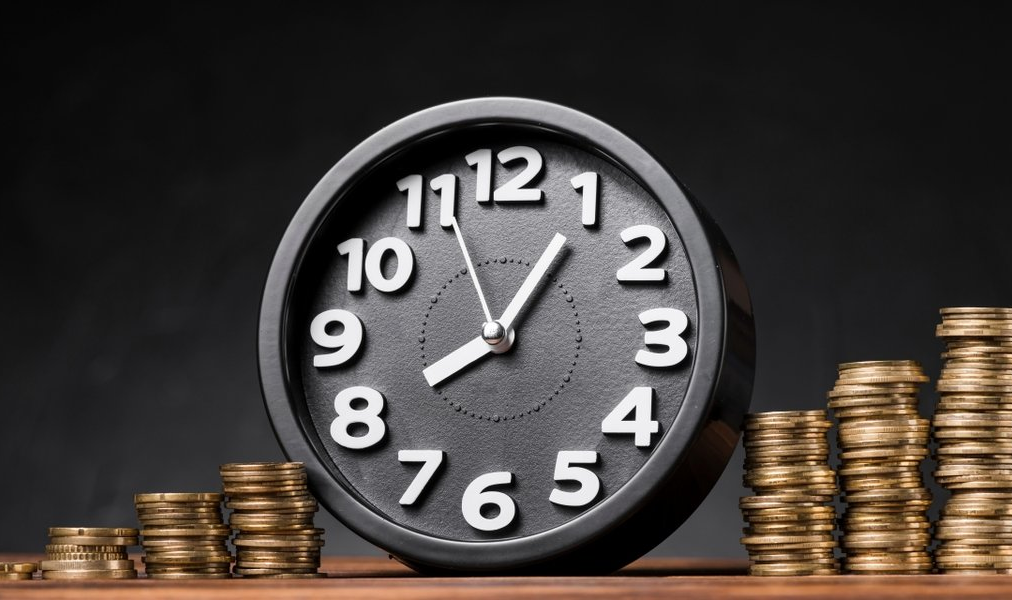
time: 8:05
